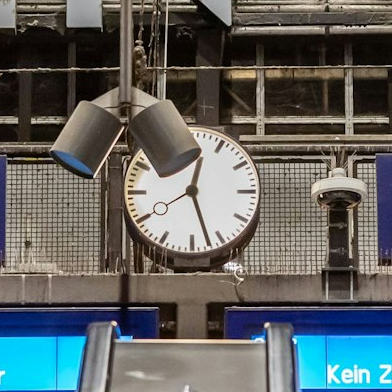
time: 12:27
